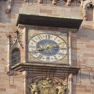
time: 8:15
